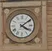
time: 4:09
